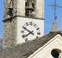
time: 7:49
